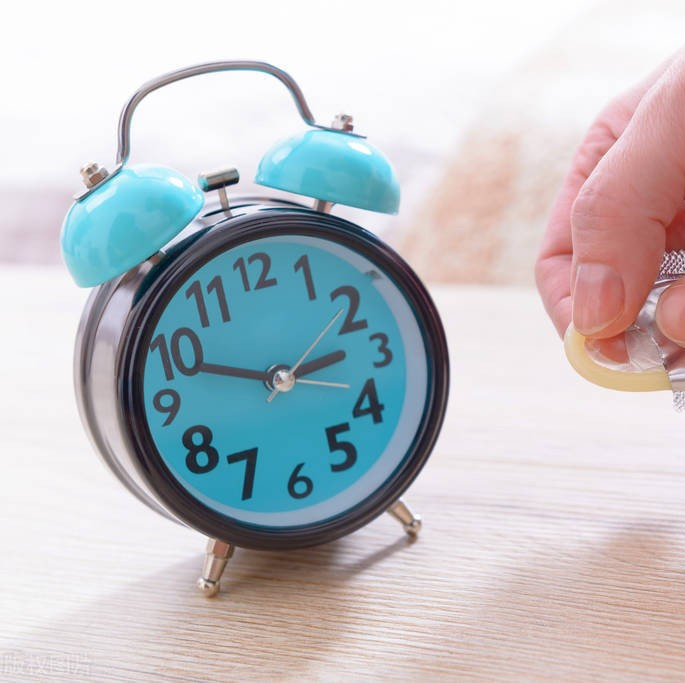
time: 2:48
